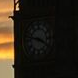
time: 3:47
